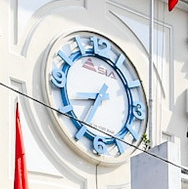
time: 8:35
